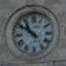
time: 10:51
